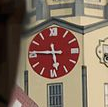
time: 5:45
